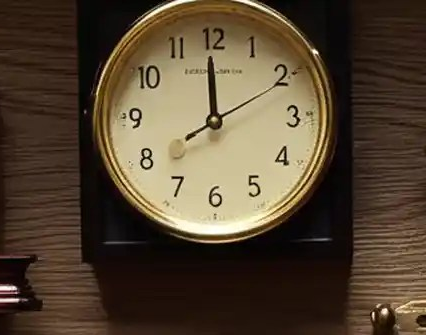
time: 11:59
